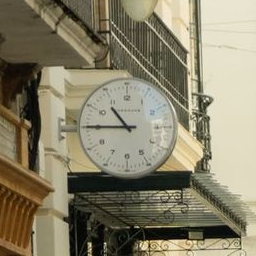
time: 10:45
